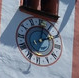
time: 2:02
